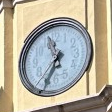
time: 11:35
